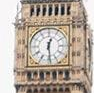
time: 12:28
